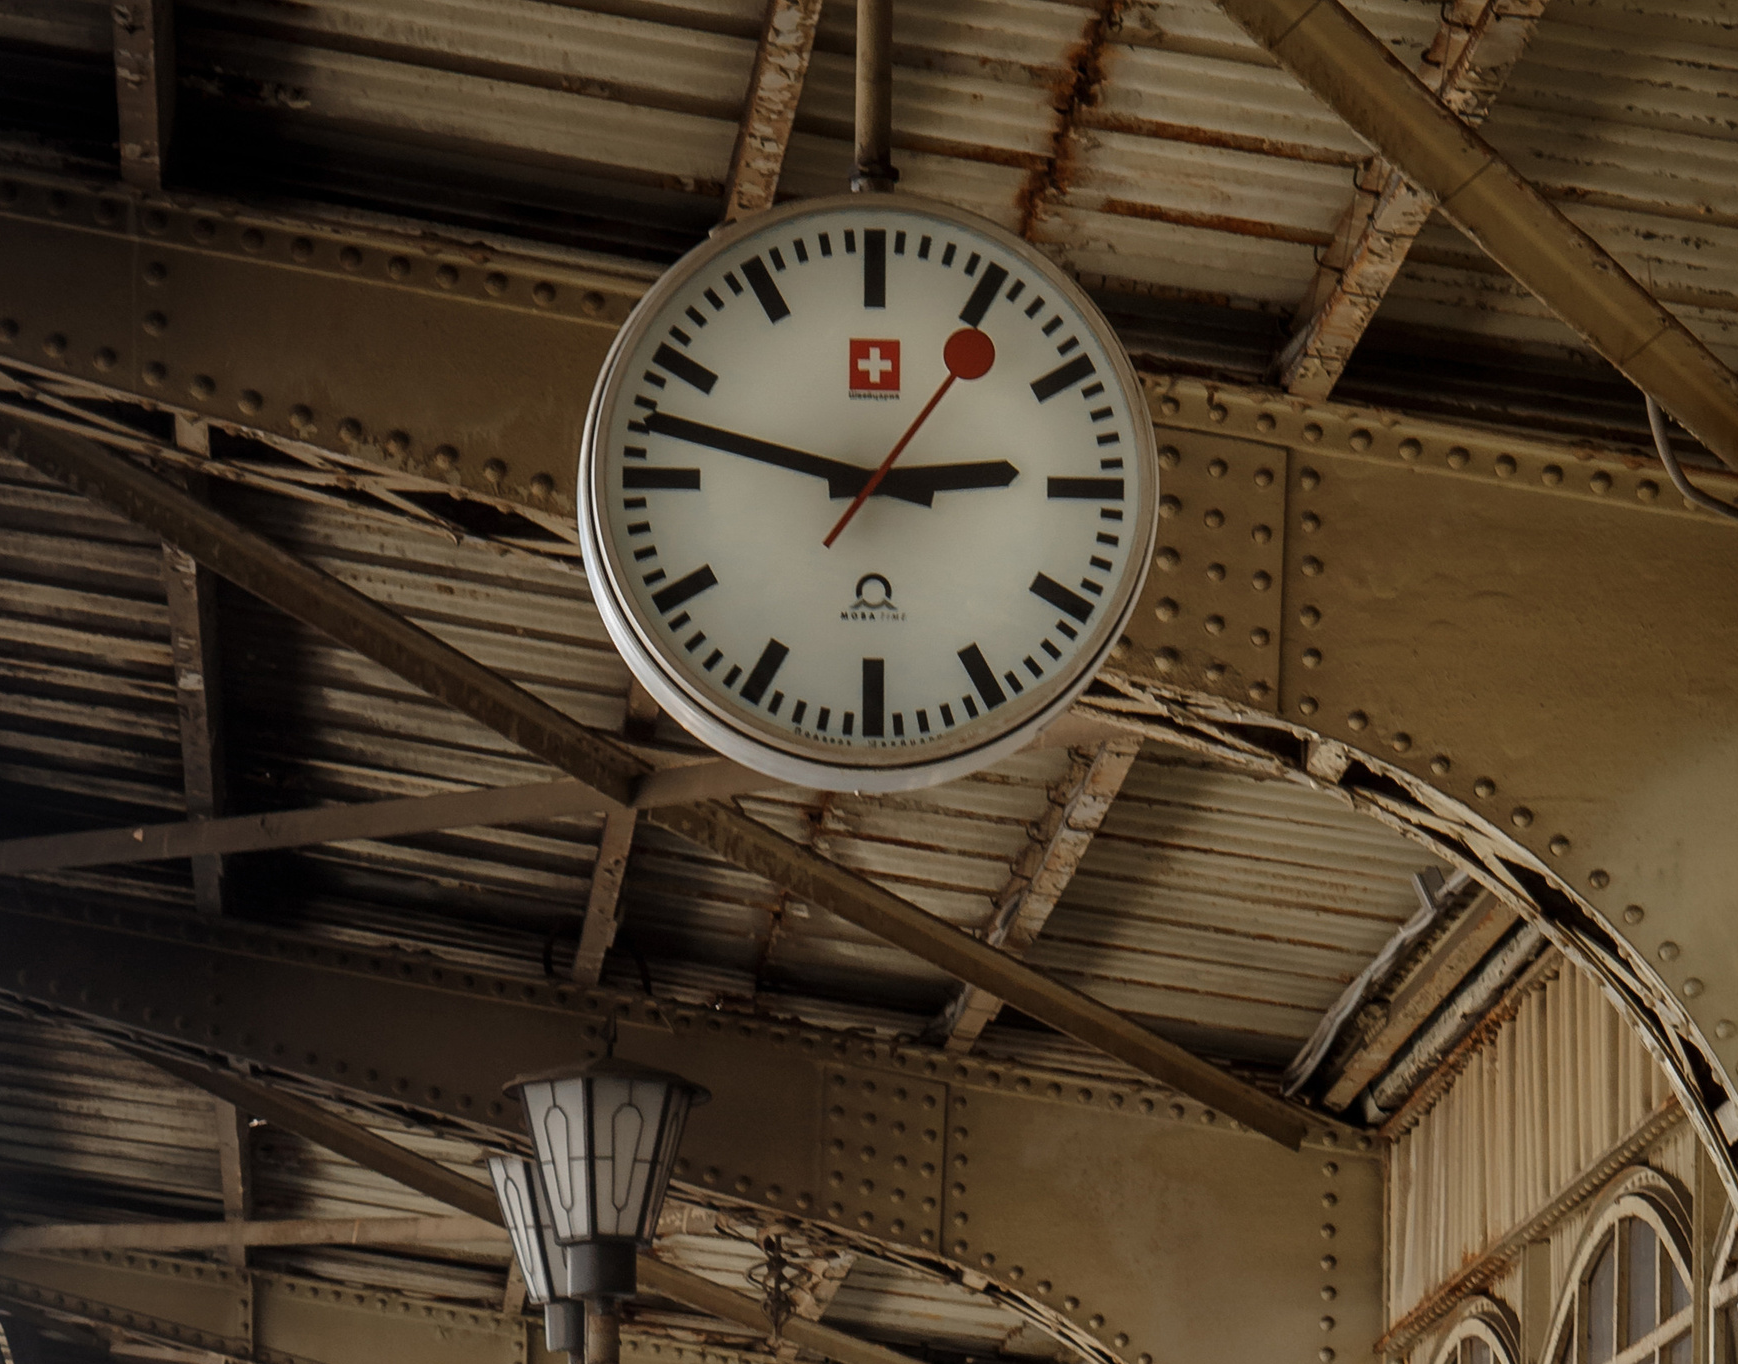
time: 2:47
